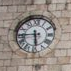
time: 5:44
